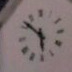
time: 5:51
